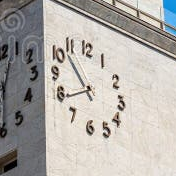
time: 10:39
